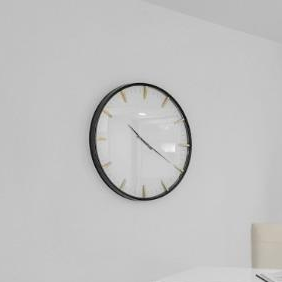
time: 10:20
